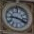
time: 9:18
